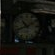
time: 10:41
